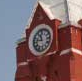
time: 11:46
